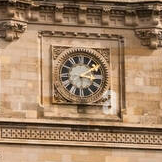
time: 3:09
